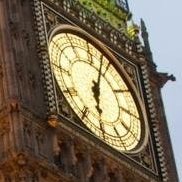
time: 6:03
